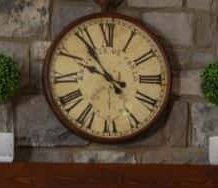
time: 9:53
